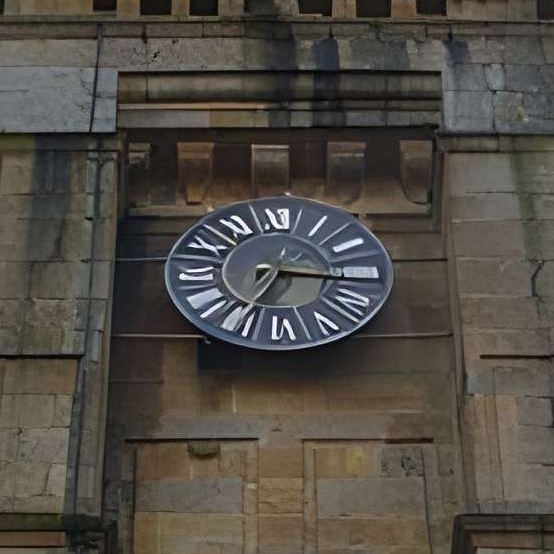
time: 7:16
